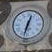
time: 12:32
